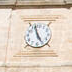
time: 4:57
